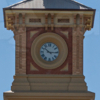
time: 10:14
